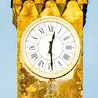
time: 12:29
